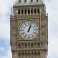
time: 1:02
